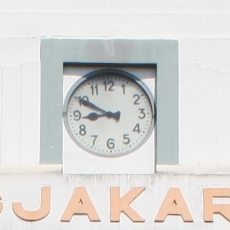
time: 8:49
